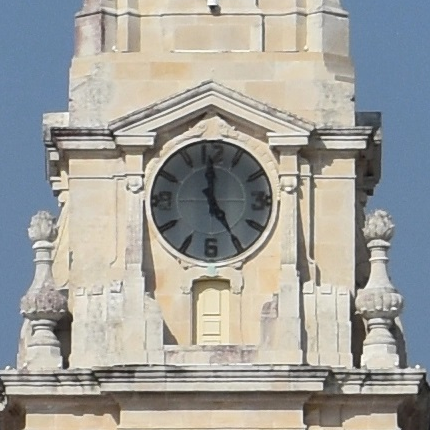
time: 4:59
